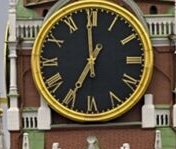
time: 6:59
